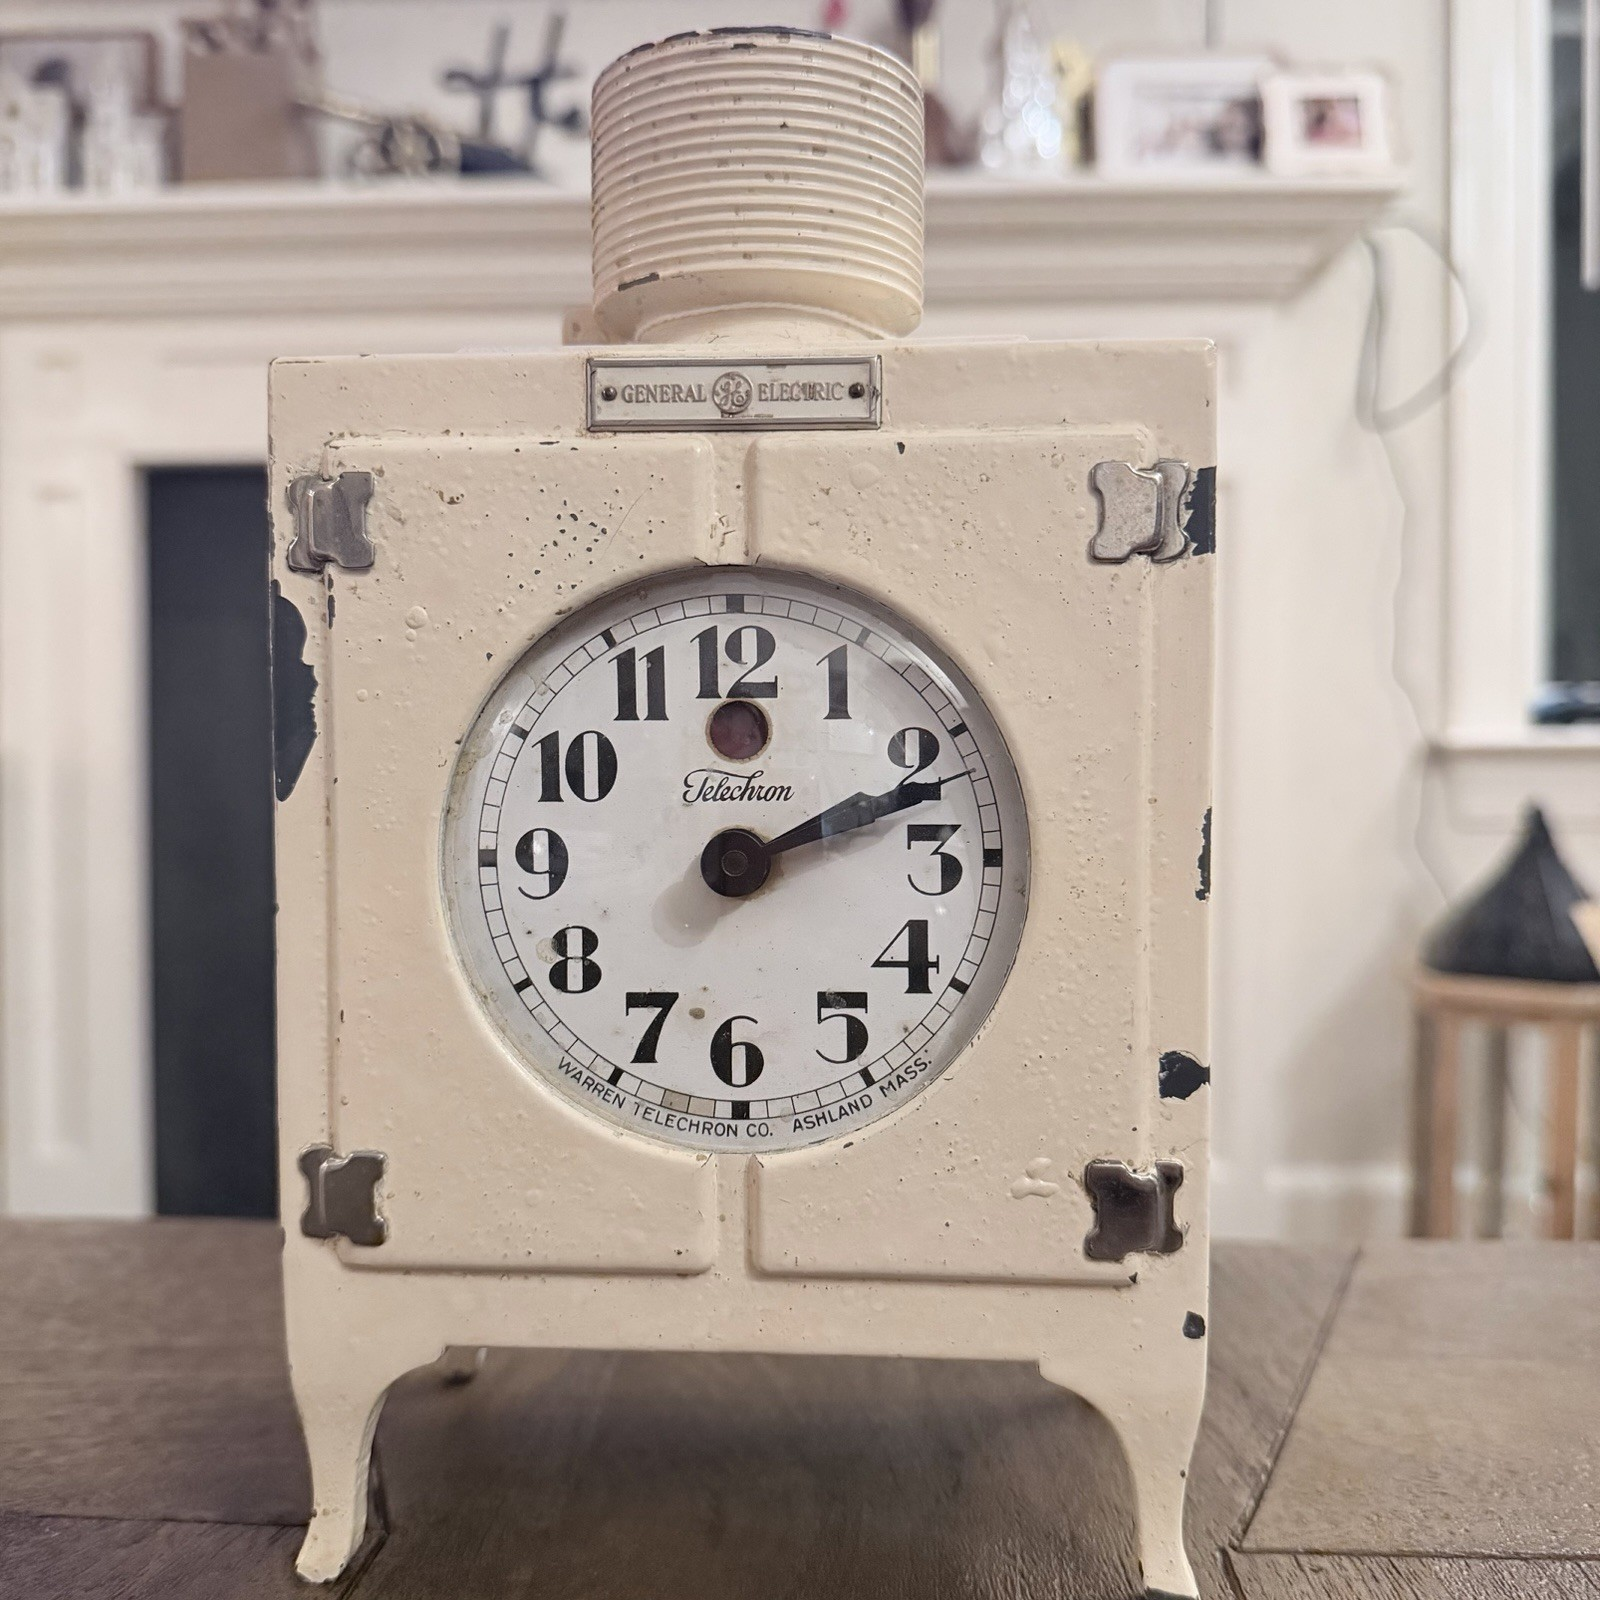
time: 2:11
